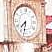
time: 7:32
